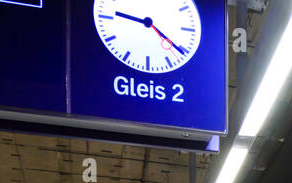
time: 9:21
